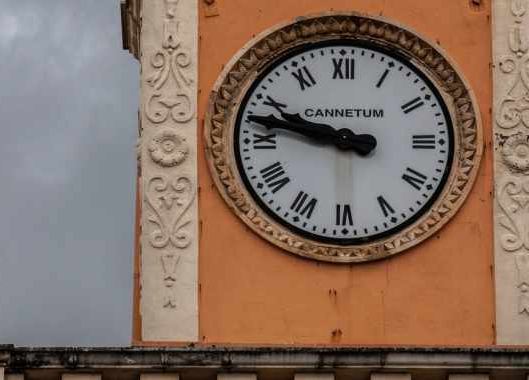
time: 9:47
